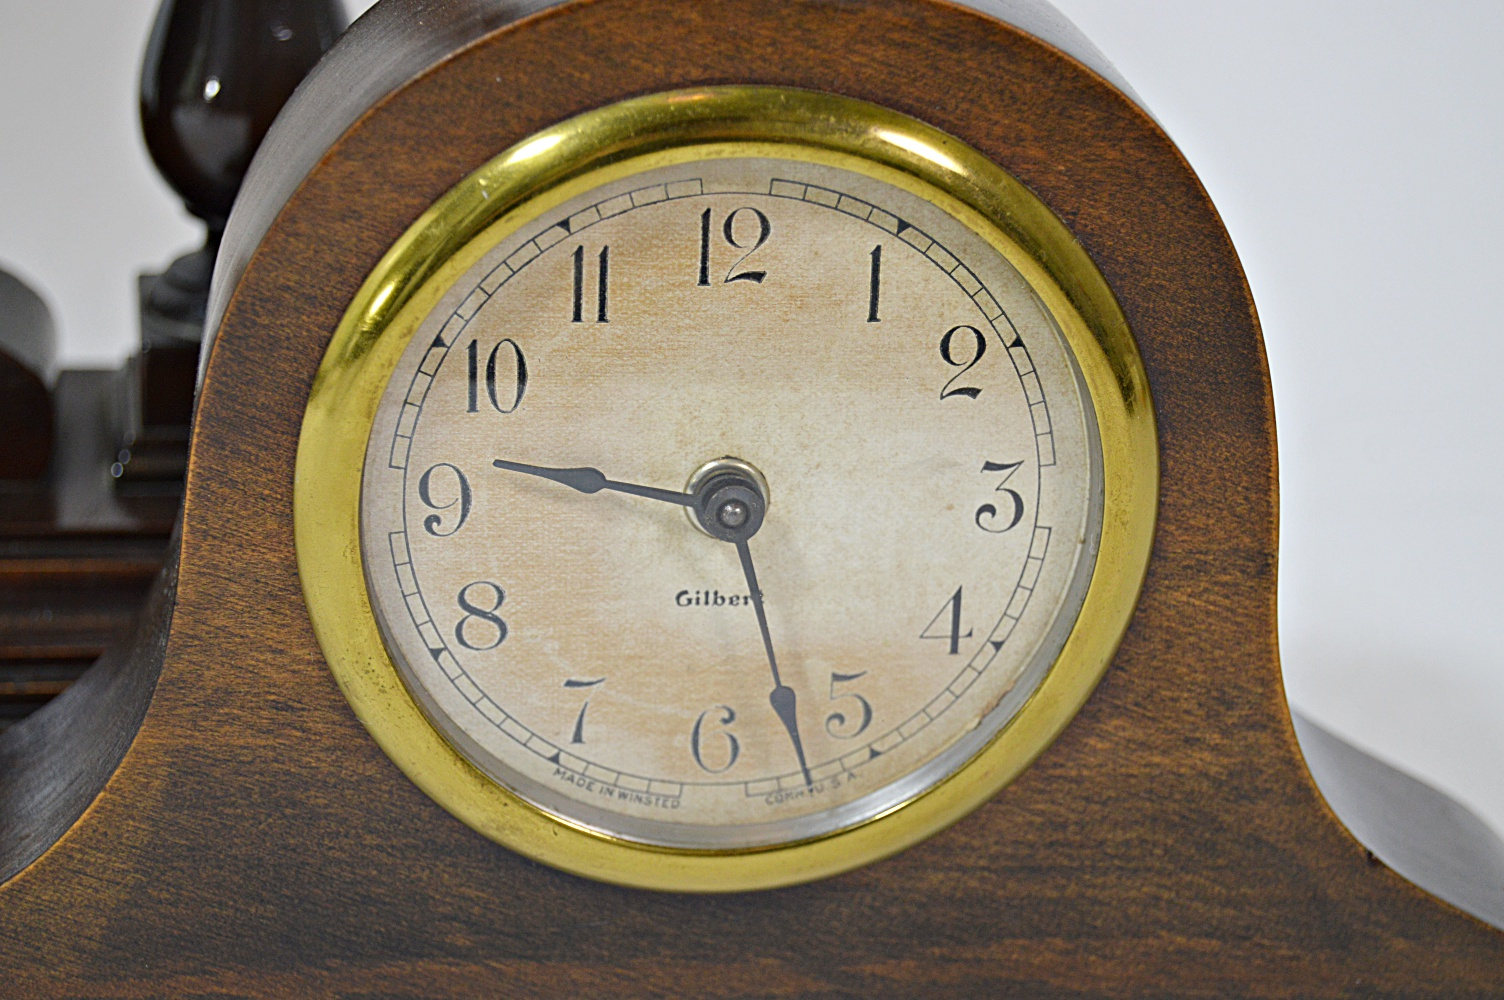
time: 9:27
